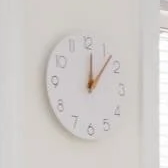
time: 12:07
